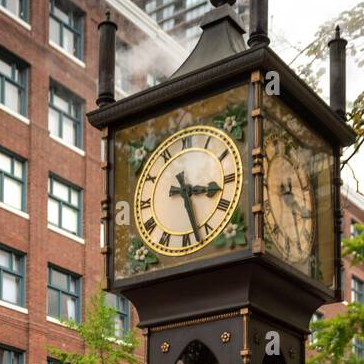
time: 3:27
